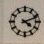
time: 4:11
